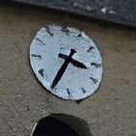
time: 3:35
